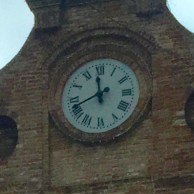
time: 11:41
